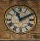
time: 11:10
